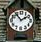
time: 1:54
